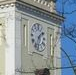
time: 1:33
